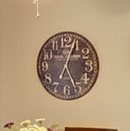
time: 5:04
